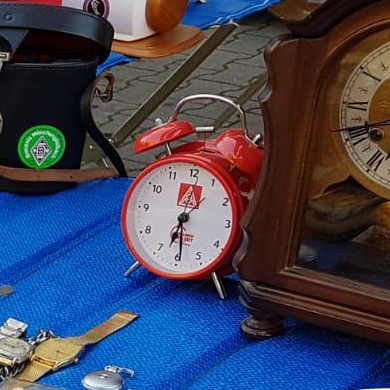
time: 6:29
